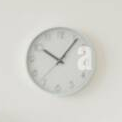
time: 10:05
